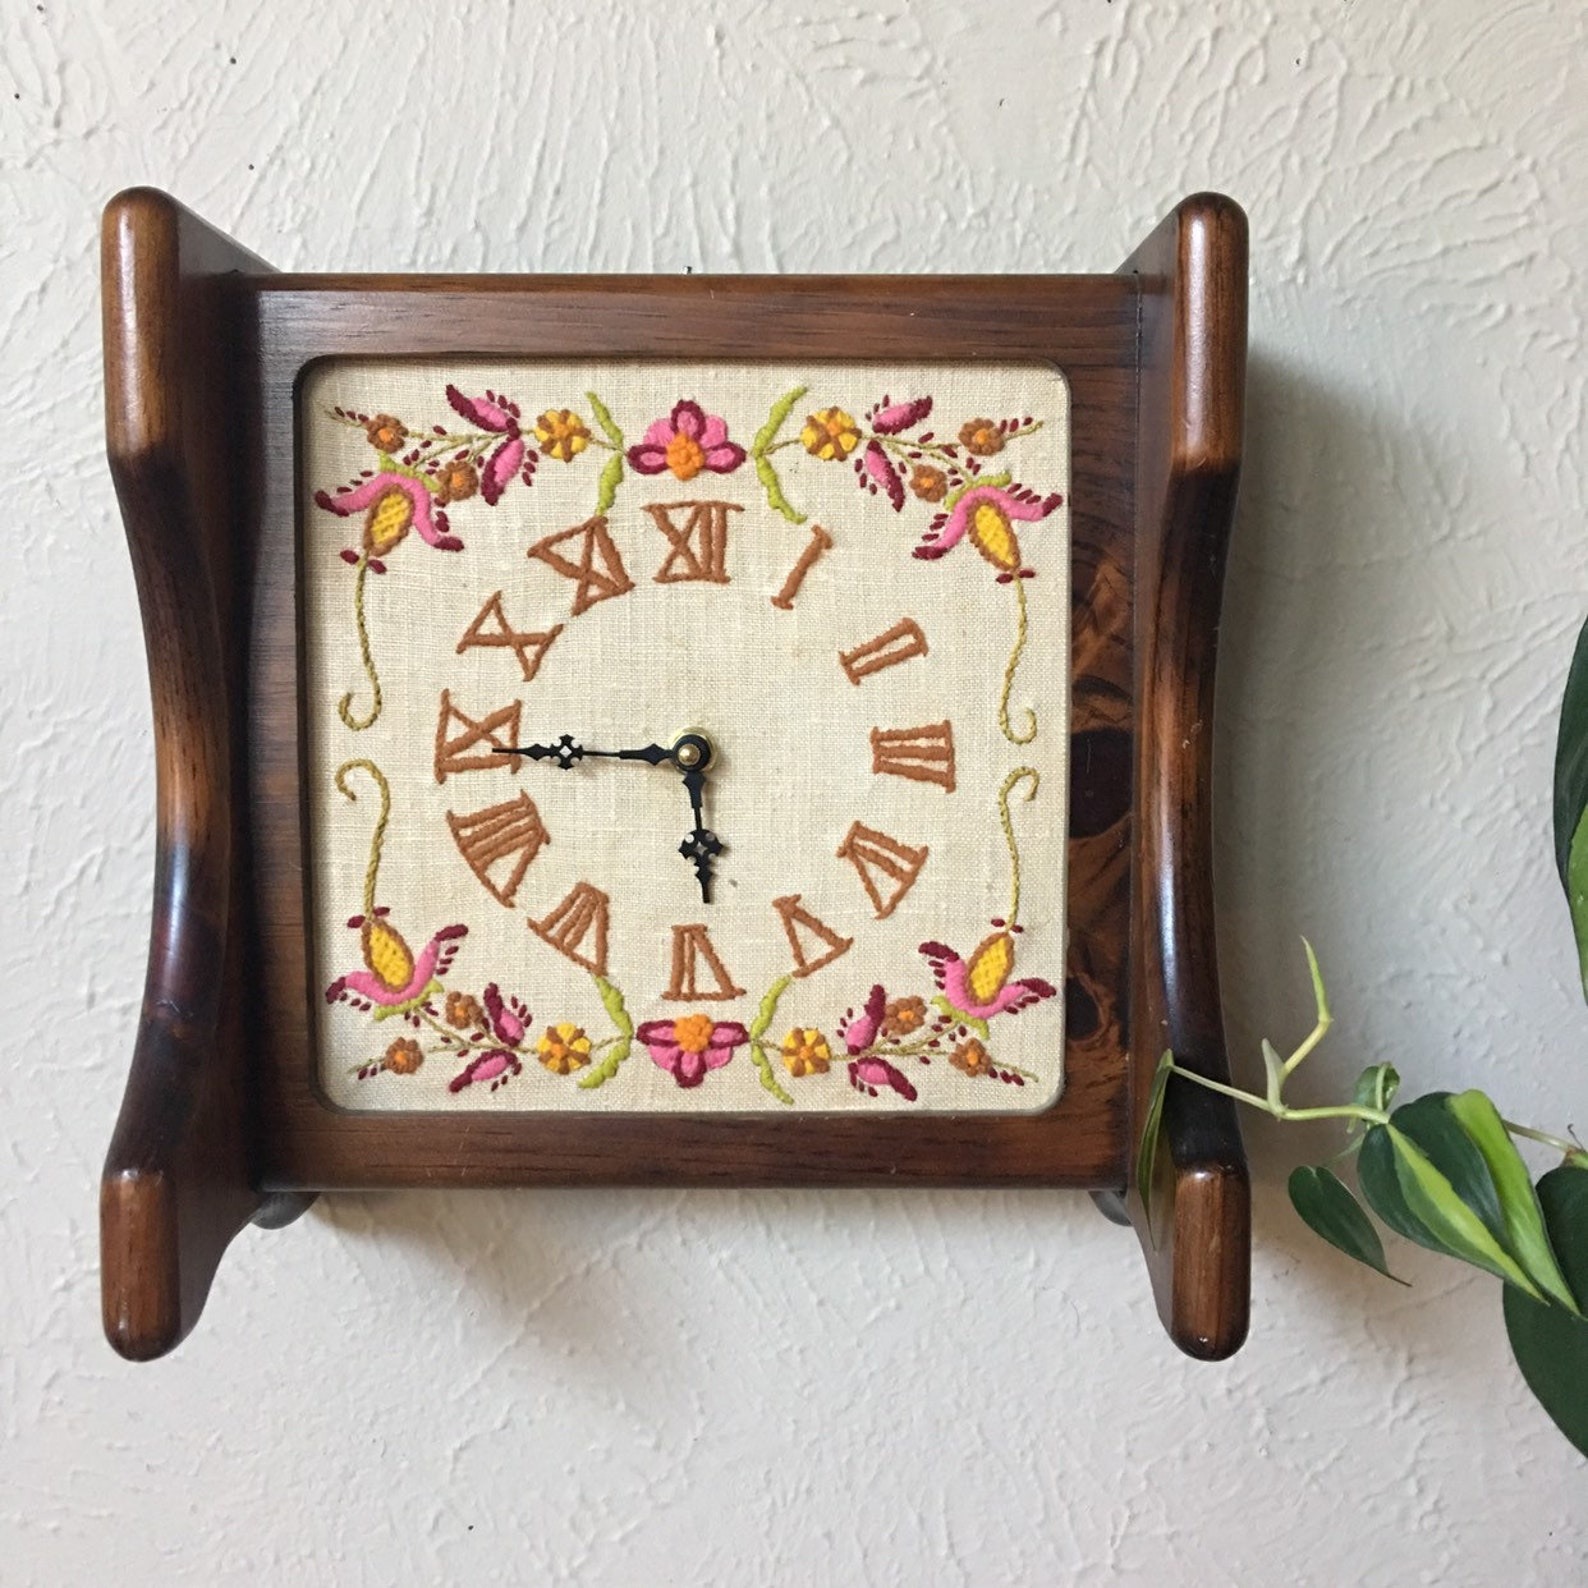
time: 5:44
